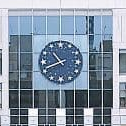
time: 10:41
